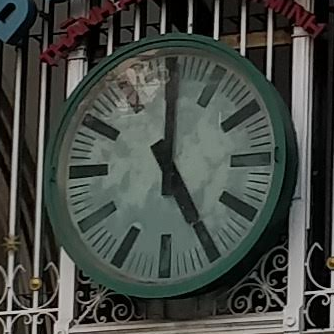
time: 5:00
